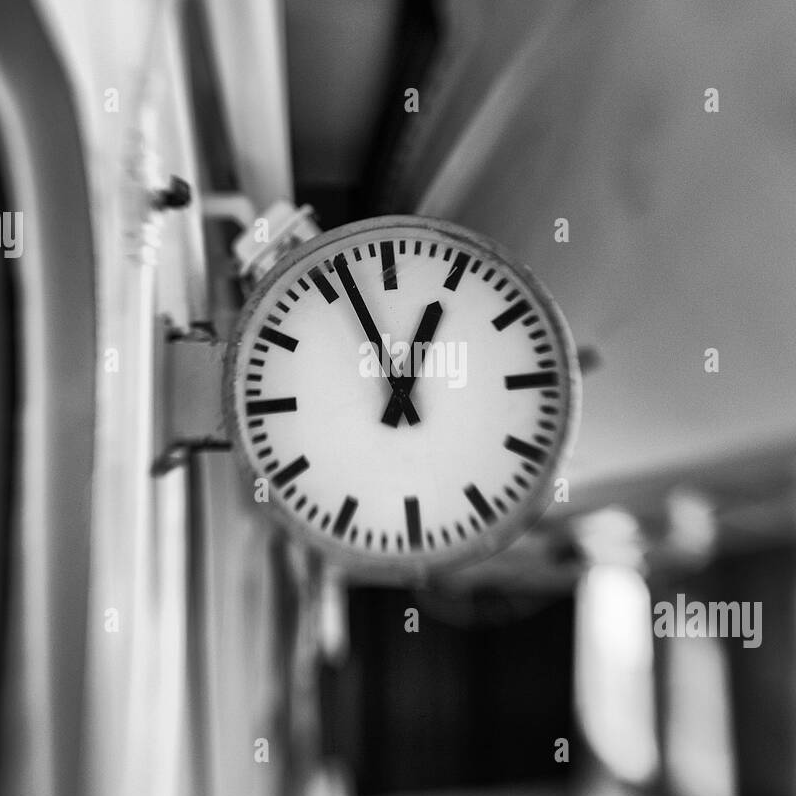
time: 12:56
